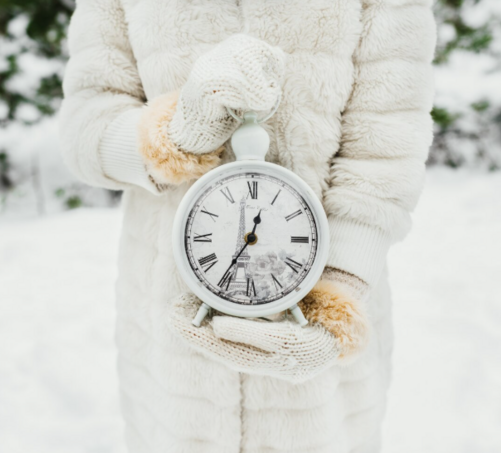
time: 12:35
